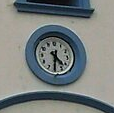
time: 4:30
